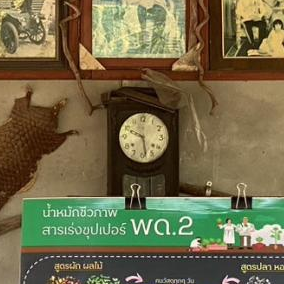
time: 5:49
